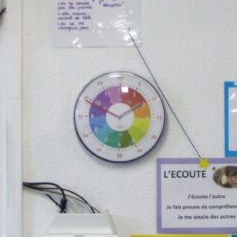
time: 1:49
